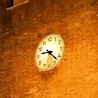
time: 9:22
